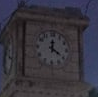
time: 12:20
